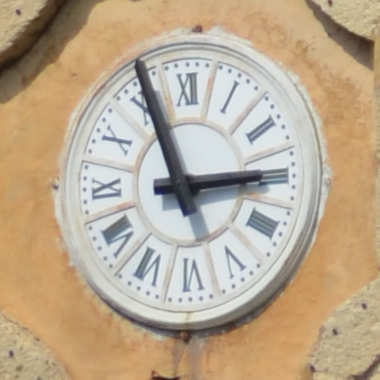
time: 2:56
